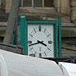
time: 3:42
